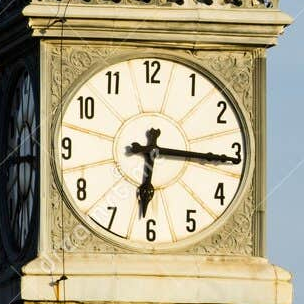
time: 6:16
